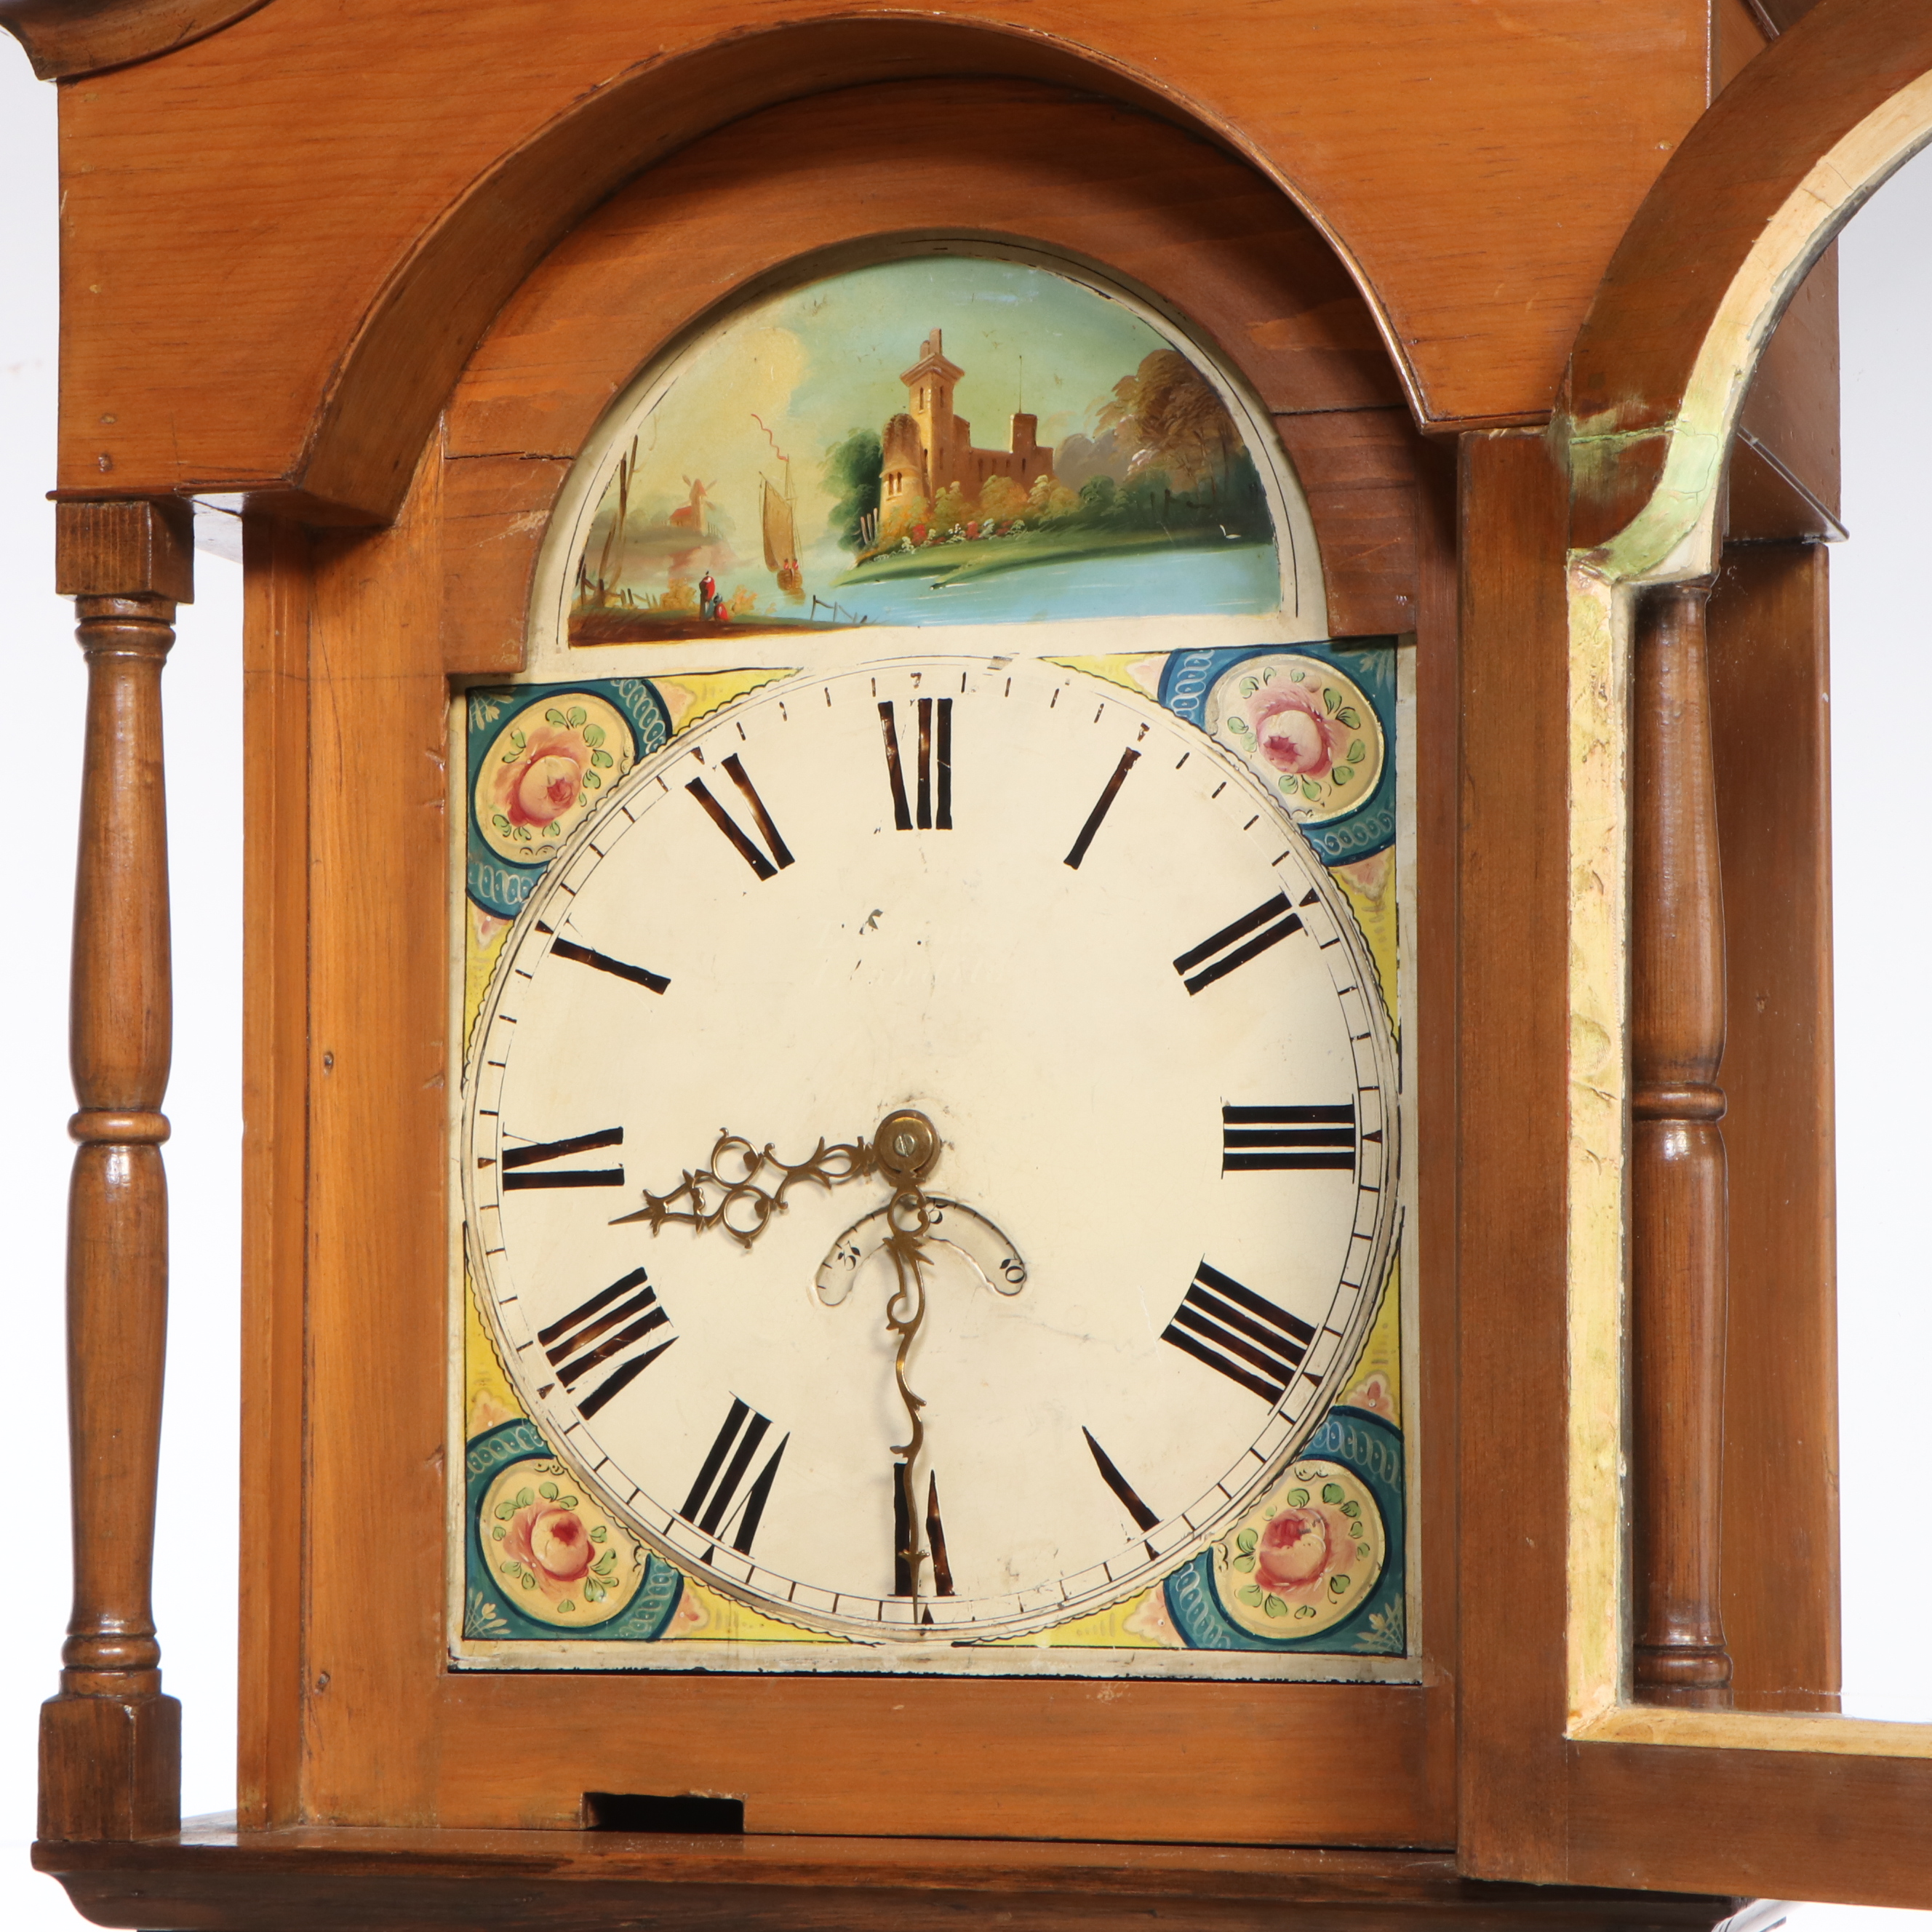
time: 8:30
